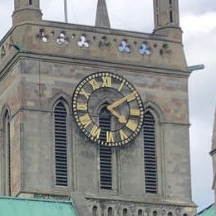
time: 4:09
